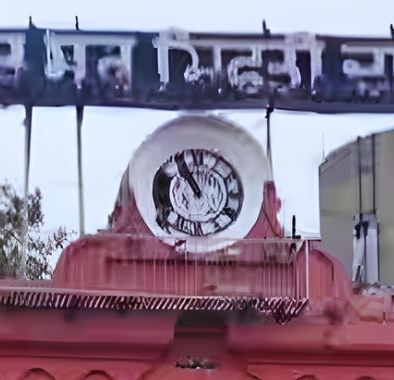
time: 10:55
